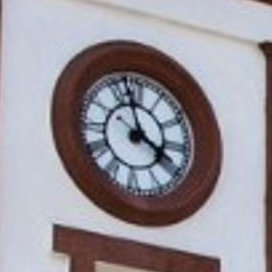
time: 3:57
